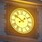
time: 1:50
